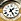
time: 1:24
